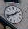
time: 1:42
